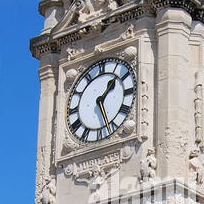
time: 1:26
